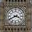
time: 3:40
